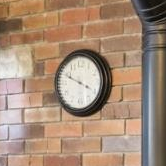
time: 3:49
